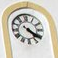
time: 4:20
